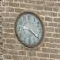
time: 4:21
